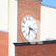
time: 3:32
